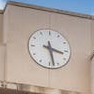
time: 3:28
